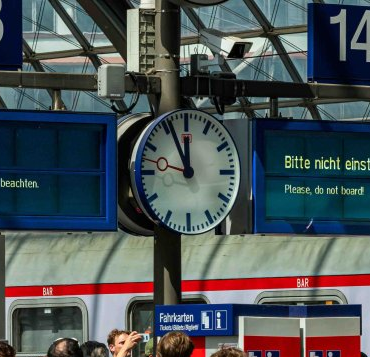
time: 11:55
